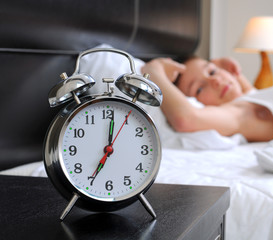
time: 7:01
